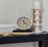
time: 11:21
